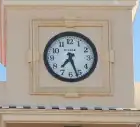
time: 7:26
